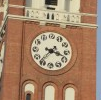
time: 3:37
